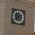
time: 7:53
